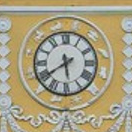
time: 5:39
